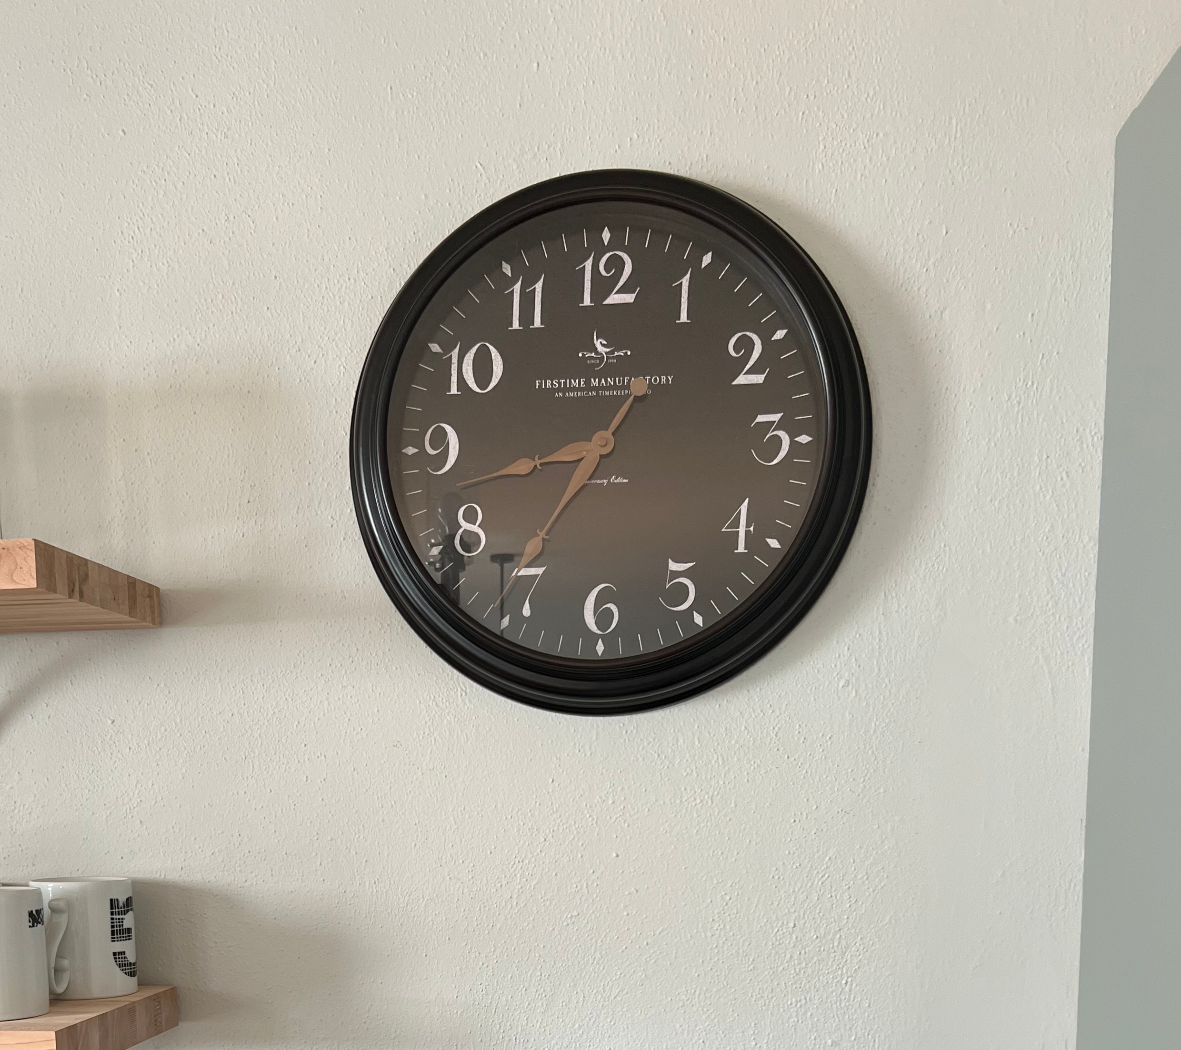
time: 8:36
